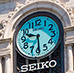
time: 9:29
